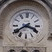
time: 3:39
